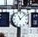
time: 11:07
